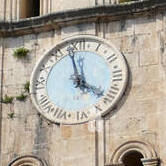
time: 3:58
